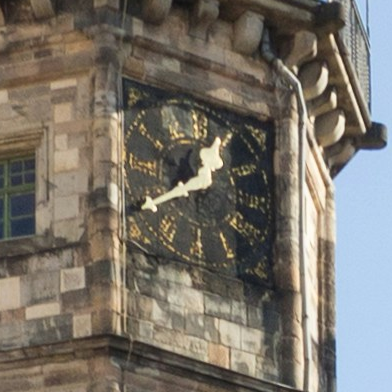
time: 12:39
